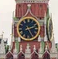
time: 2:25
